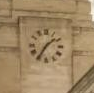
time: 1:35
